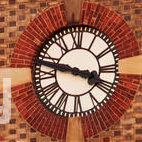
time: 3:47
